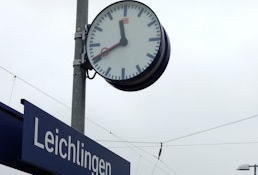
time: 11:41
